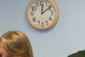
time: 12:09
